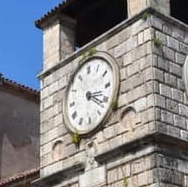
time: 3:21
